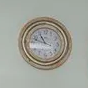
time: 10:47
